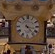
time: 3:23
